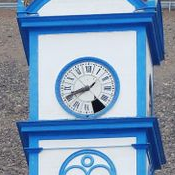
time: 1:41
